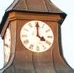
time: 4:00
